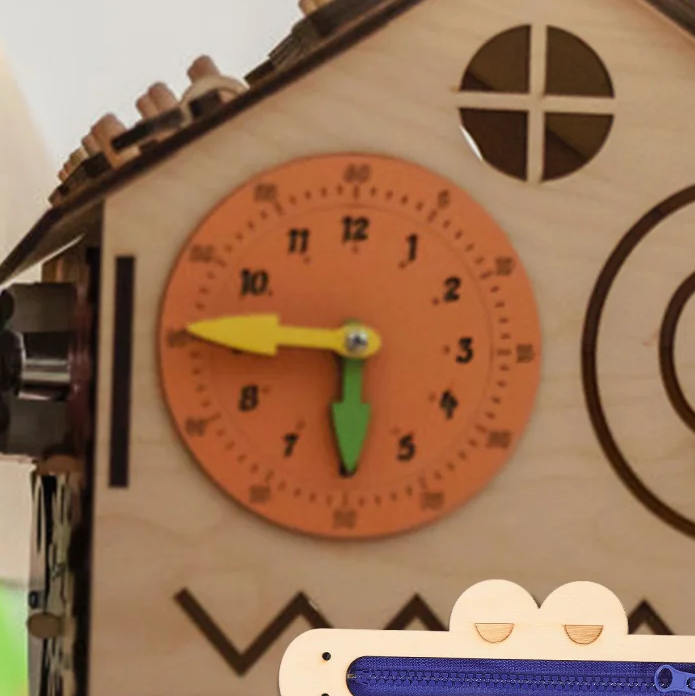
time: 5:45
